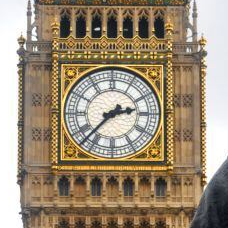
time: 2:37
